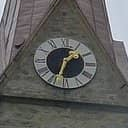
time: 1:33
